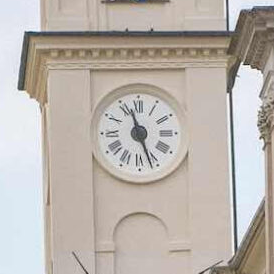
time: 11:26
